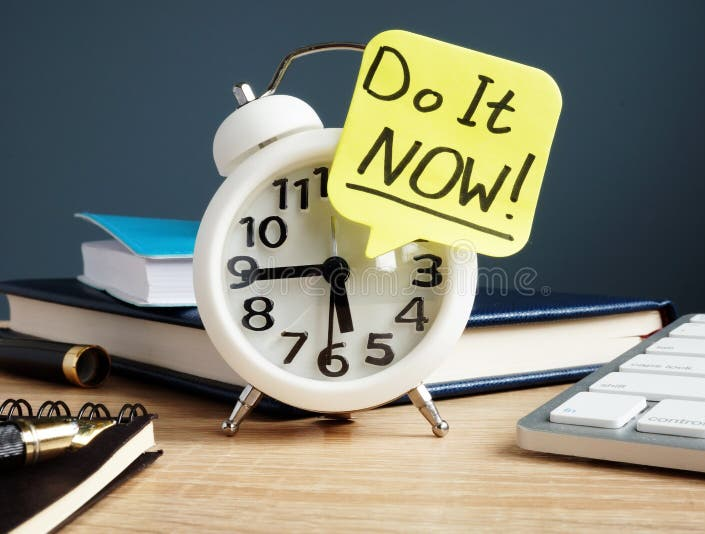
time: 5:44
